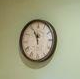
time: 11:55
